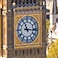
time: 11:15
